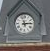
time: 11:13
